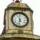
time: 11:32
